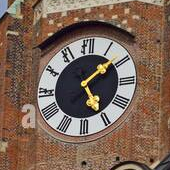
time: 5:08
